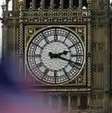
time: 2:18
